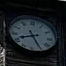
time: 8:25
